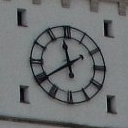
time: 11:39
